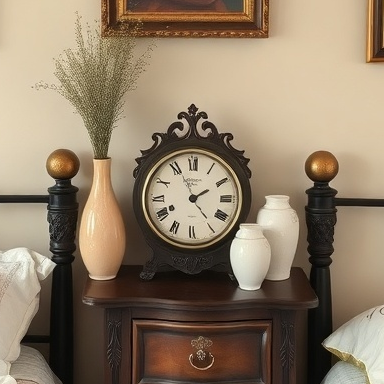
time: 1:56
